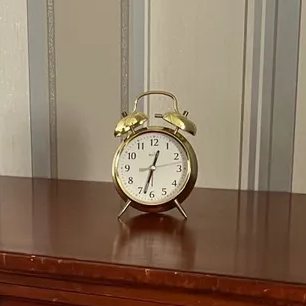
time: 12:32
